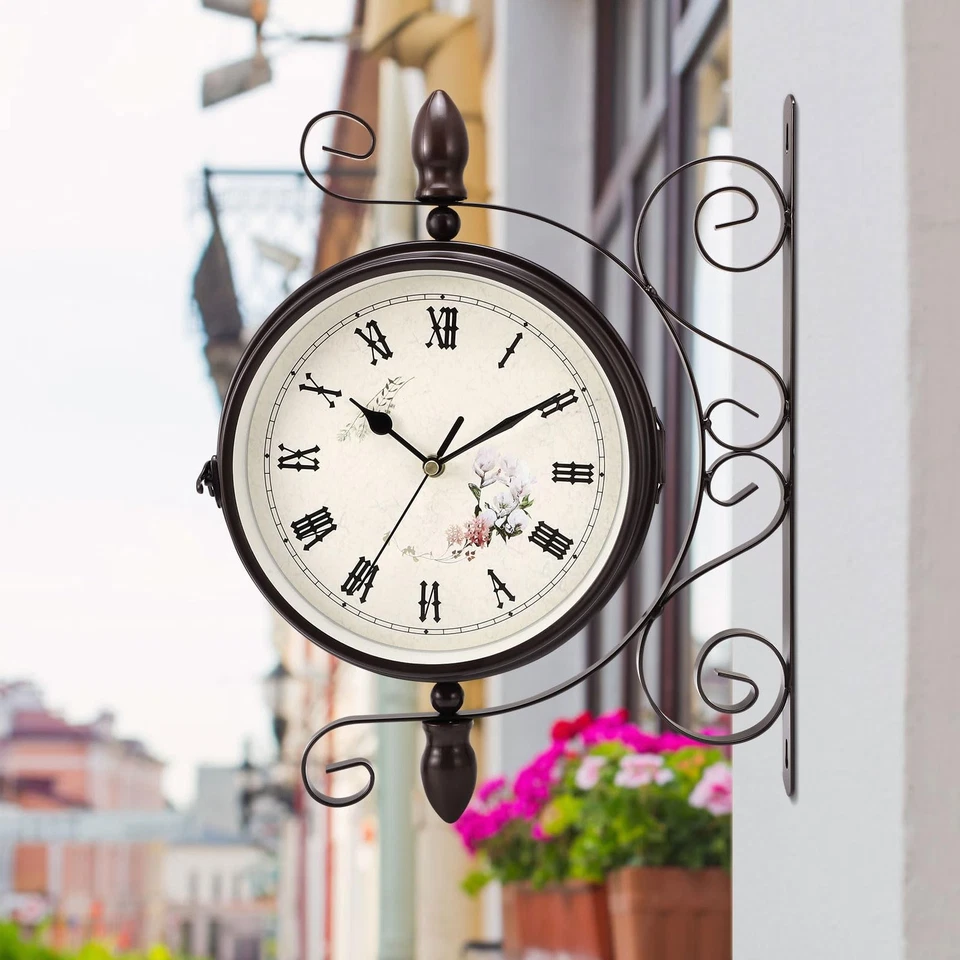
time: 10:09
